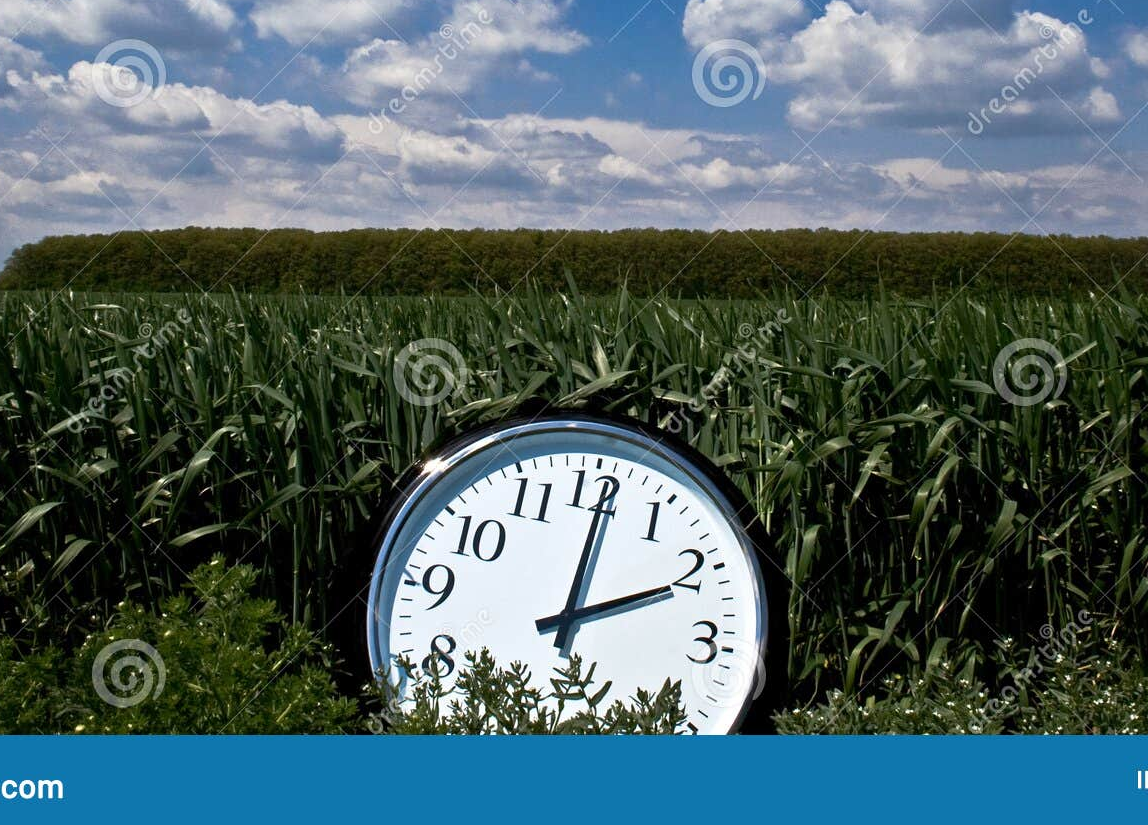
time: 2:01
